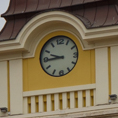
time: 9:44
